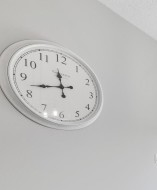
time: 11:42
